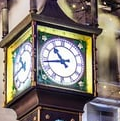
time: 10:43
